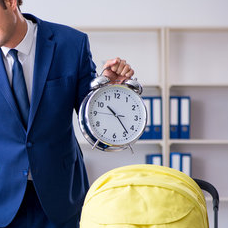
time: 10:23
